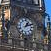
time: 1:11
